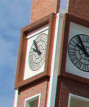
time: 9:53
